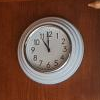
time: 10:59
